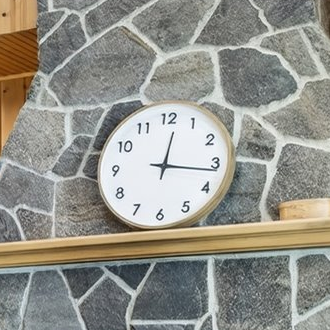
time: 12:16
